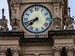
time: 7:42
